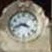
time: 3:42
